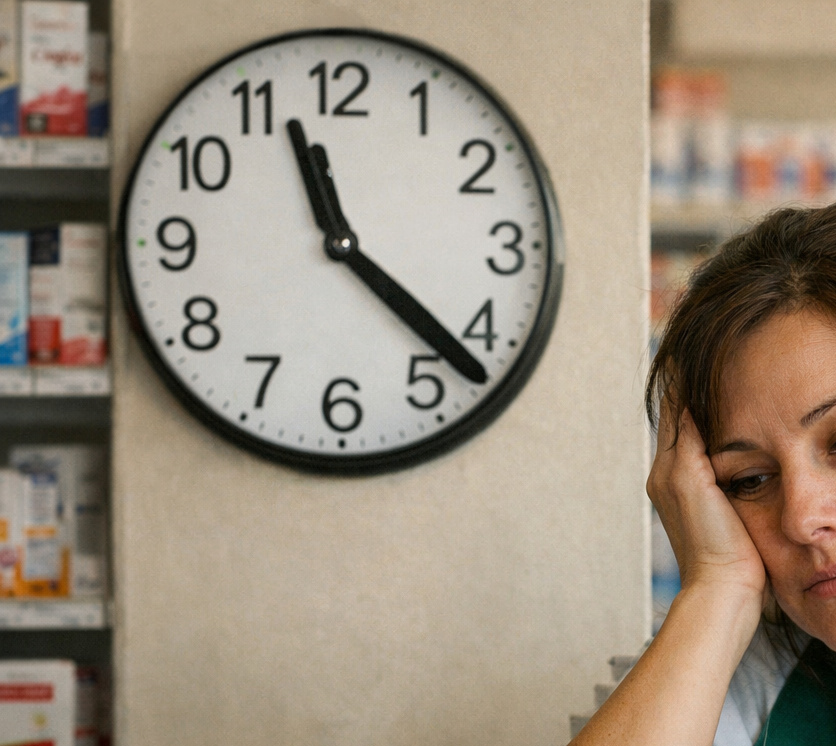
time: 11:22
